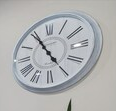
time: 4:54
